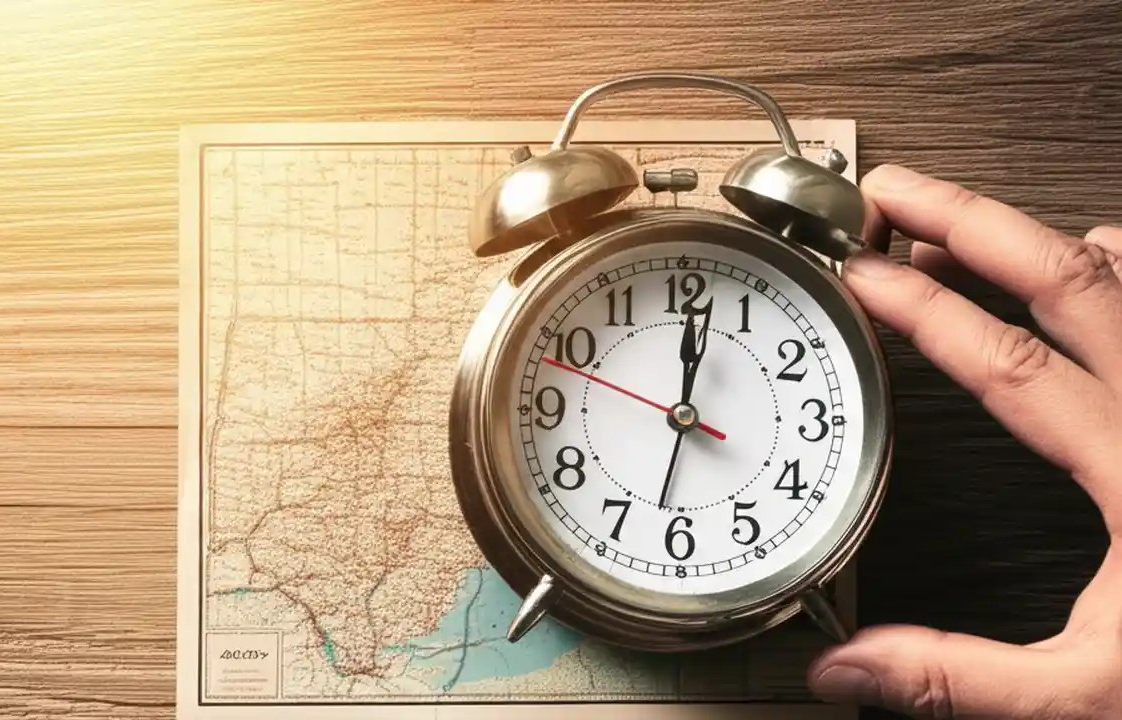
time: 12:01
